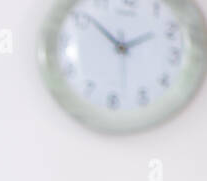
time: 1:51
